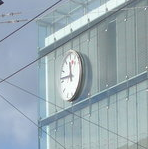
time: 11:46
